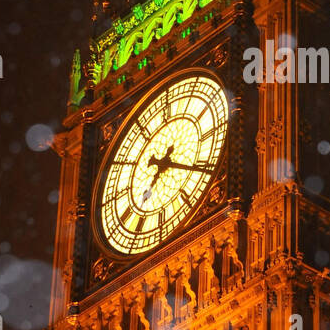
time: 7:20
